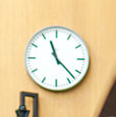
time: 11:22
